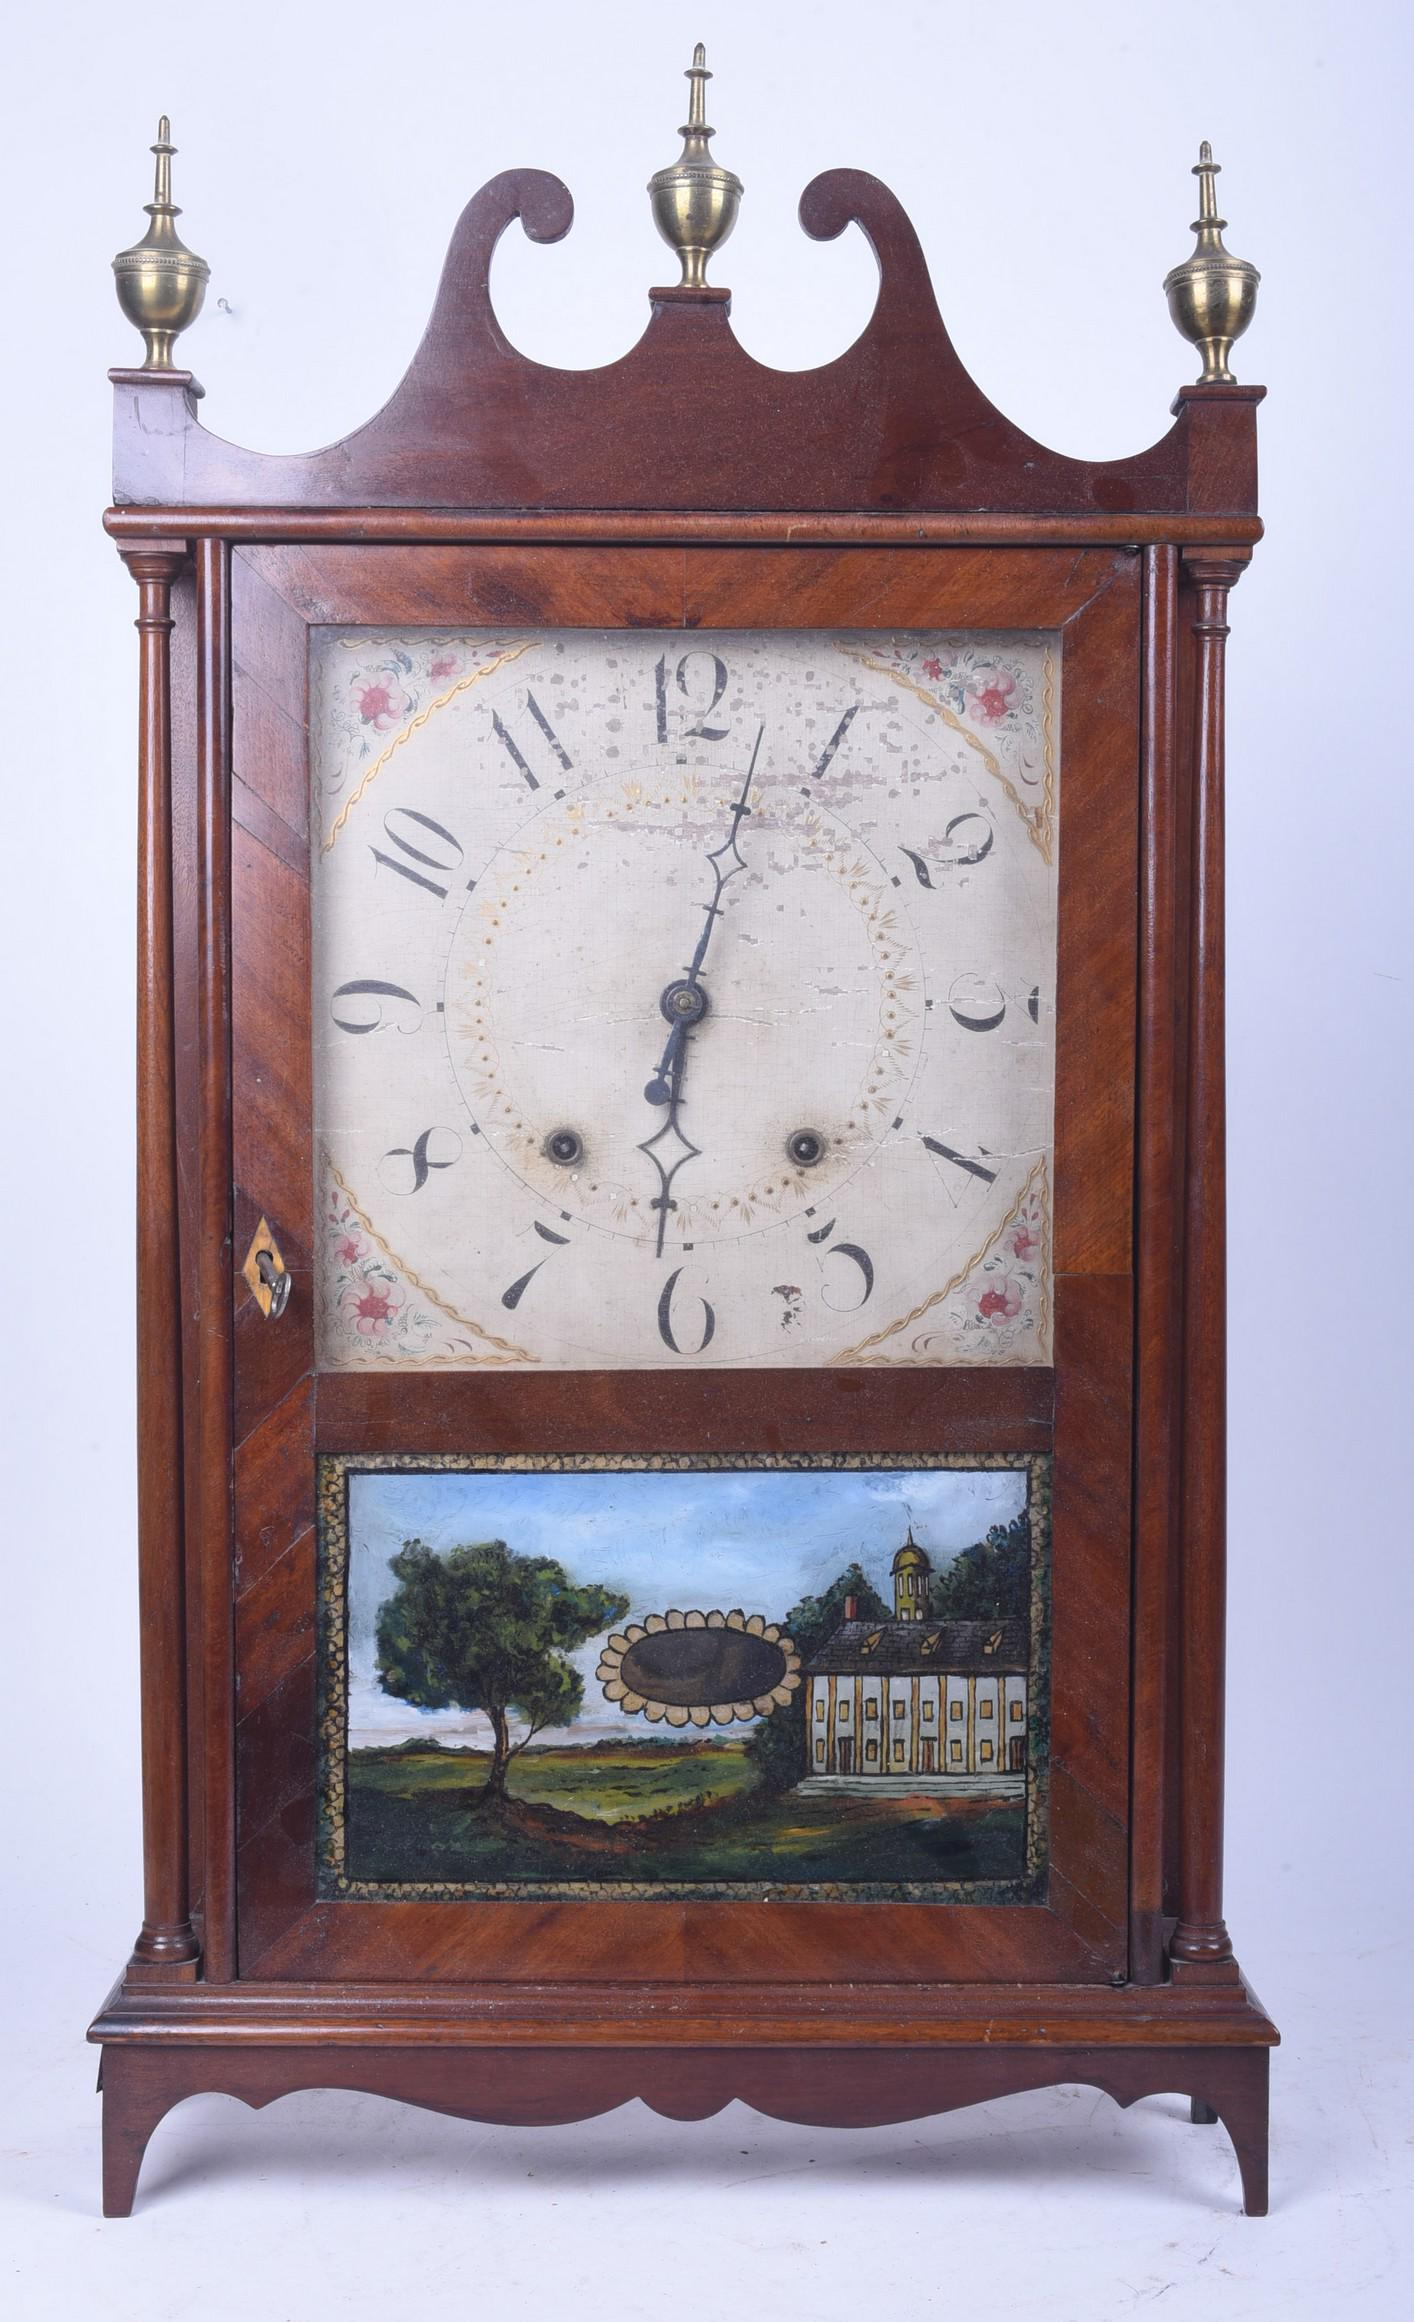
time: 6:02
